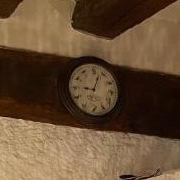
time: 9:03
